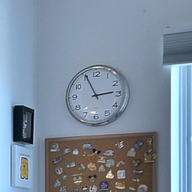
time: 2:55
